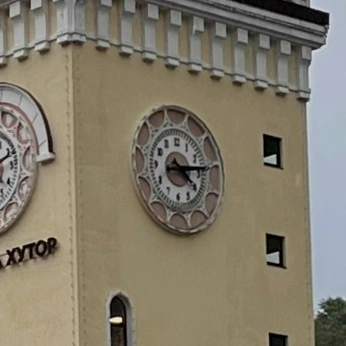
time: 4:14
